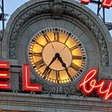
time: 4:36
